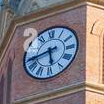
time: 5:42
